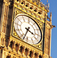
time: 3:33
